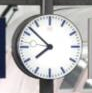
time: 7:52
